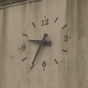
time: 9:35
